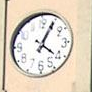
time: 4:04
